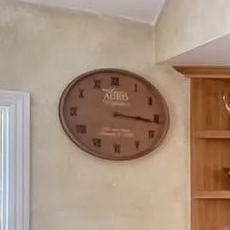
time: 3:16
